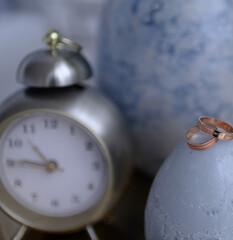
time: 10:45
